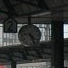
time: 4:26
